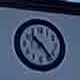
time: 10:23
